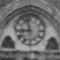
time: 8:57
